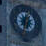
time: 12:32
